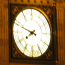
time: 7:48
